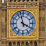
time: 3:57
